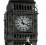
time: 11:17
